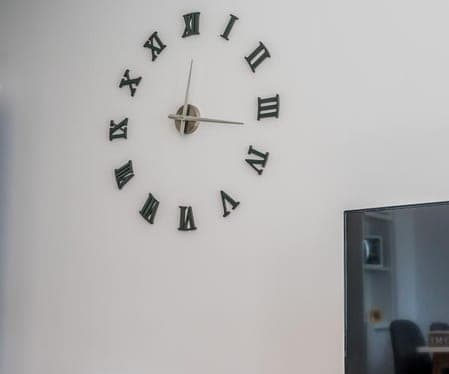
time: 12:16
